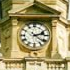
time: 2:21
